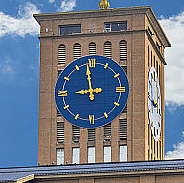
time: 8:58
